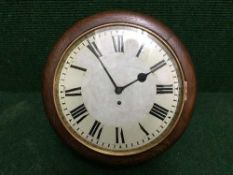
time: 1:54
